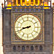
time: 8:41
